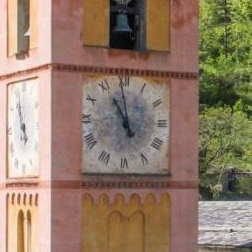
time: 10:59
